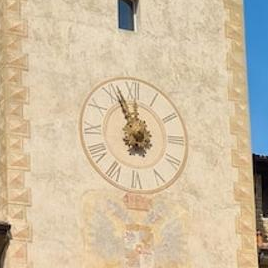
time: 6:56
